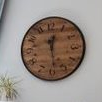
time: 12:28
